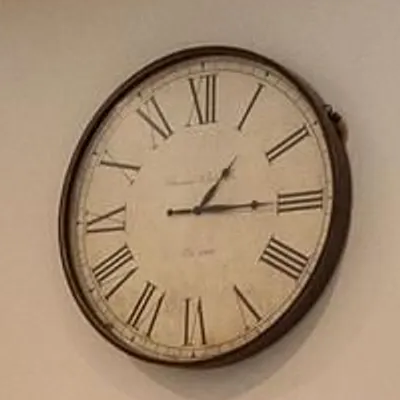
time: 1:14
